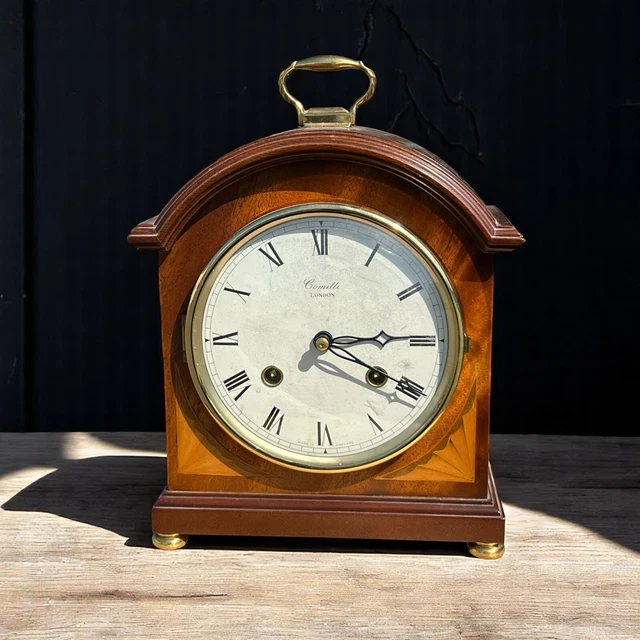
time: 4:14
